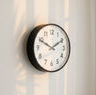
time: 1:49
